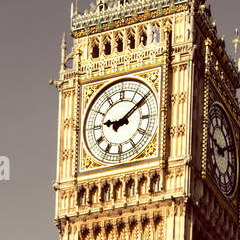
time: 9:09
